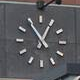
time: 12:54
